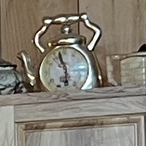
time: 5:57
